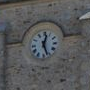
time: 12:26
